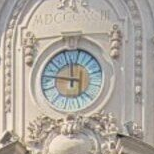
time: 11:46
